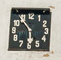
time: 5:53
